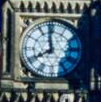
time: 7:58
